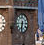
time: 6:32
